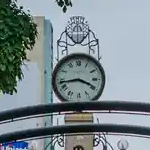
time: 3:43
